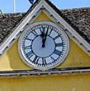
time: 12:03
